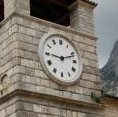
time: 9:11
